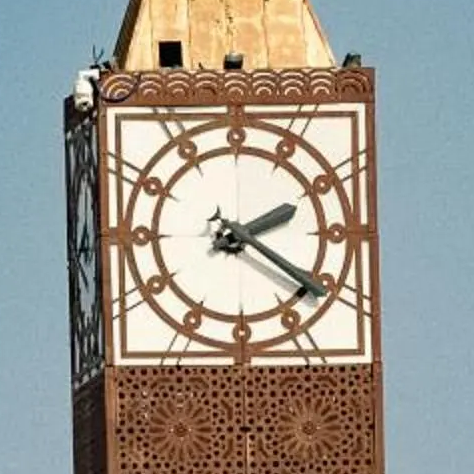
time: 2:21
